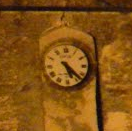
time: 5:22
